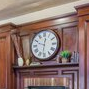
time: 12:31
